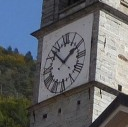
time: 1:52
